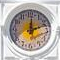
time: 12:11
